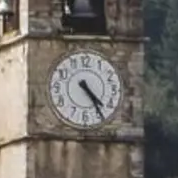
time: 4:24
